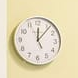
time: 12:06
